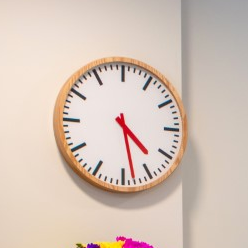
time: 4:28
